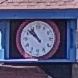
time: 10:51
